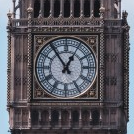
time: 12:54
